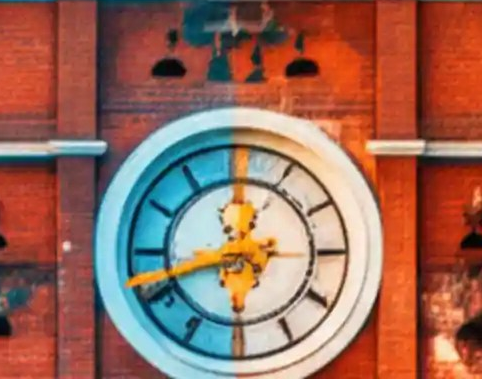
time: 11:42
